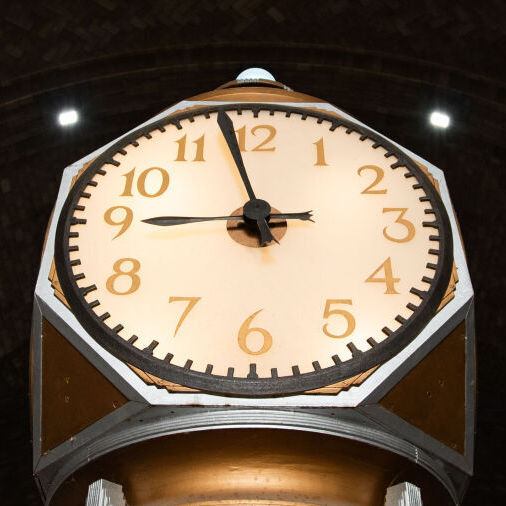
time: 8:57
